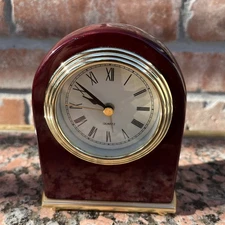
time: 9:51
